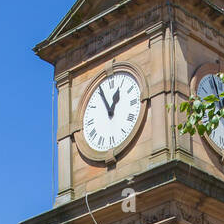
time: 12:55
